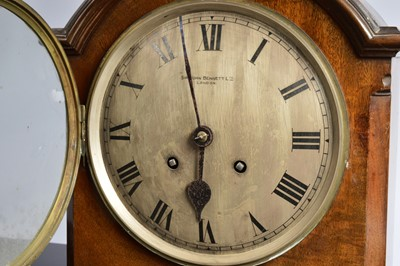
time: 5:57
